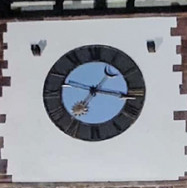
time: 7:16
